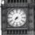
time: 7:34
